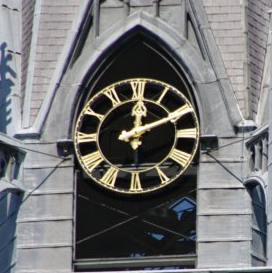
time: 12:10
